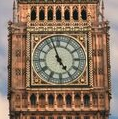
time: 4:57
